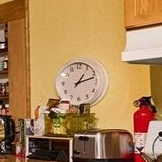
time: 1:12
